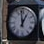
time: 12:58
